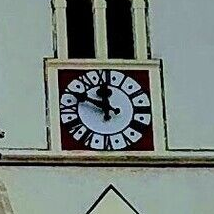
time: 11:48
